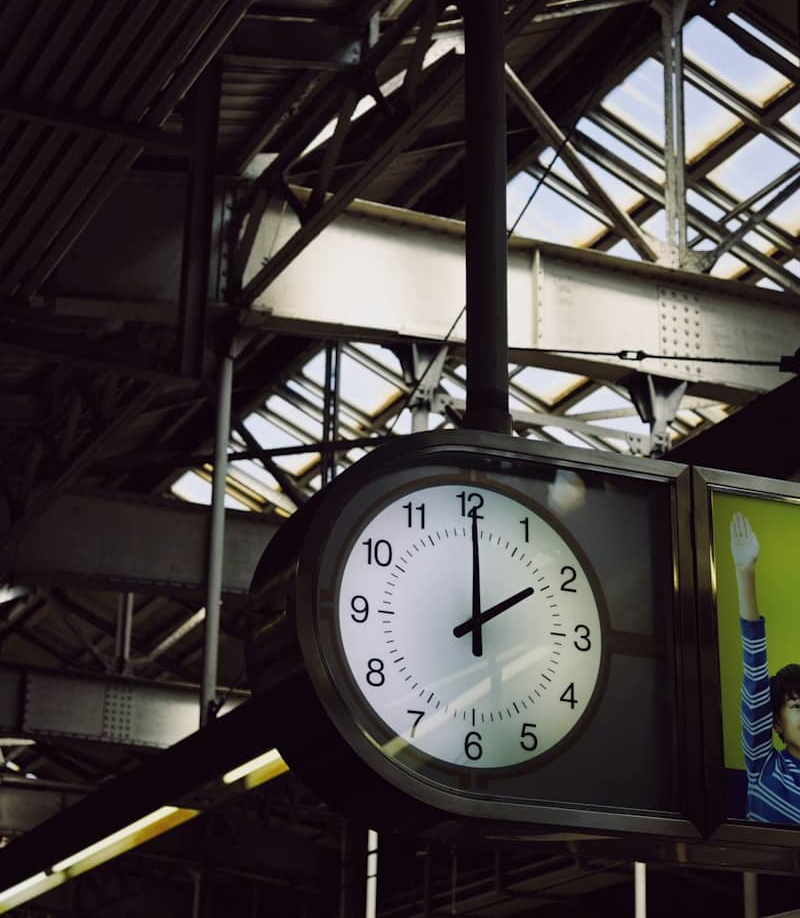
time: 2:00
